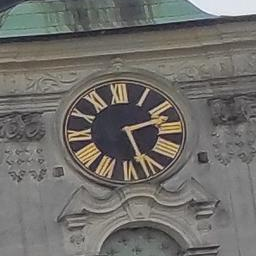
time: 2:26
